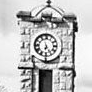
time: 6:25
